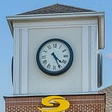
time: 4:25
